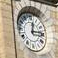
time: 12:14
